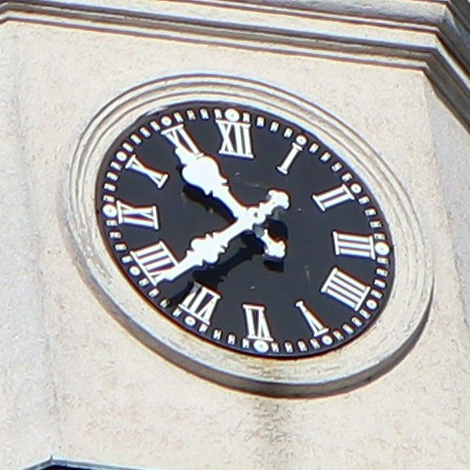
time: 10:37
